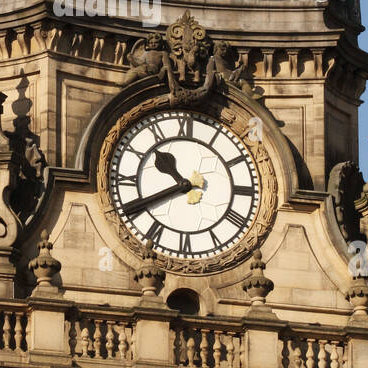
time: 10:40
